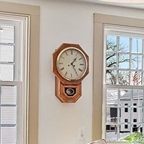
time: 1:24
